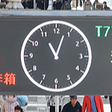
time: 11:03
